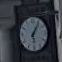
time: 6:05
